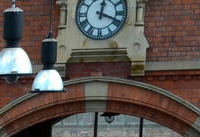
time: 12:18
